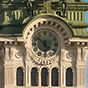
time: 5:51
